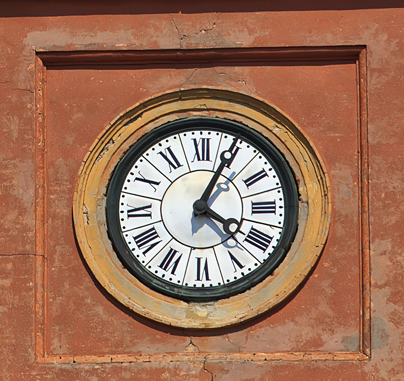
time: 4:04
